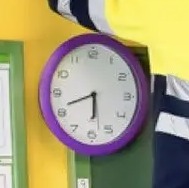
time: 5:41
